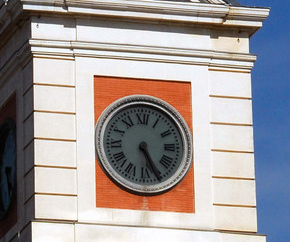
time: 5:25
